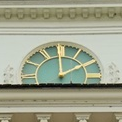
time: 1:59
